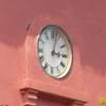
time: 3:02
